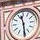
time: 11:29
